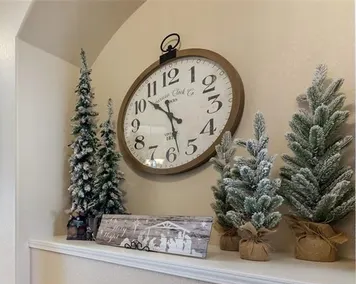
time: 10:28
